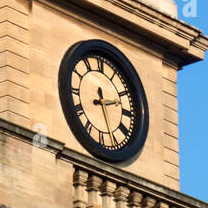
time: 2:26
